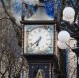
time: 6:38
